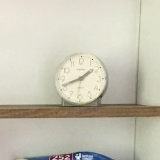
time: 1:41
